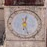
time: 12:27
